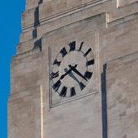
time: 8:21
